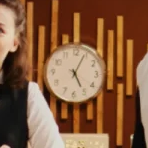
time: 5:04
